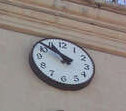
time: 10:51
